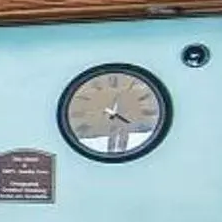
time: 4:02
